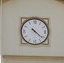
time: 4:21
